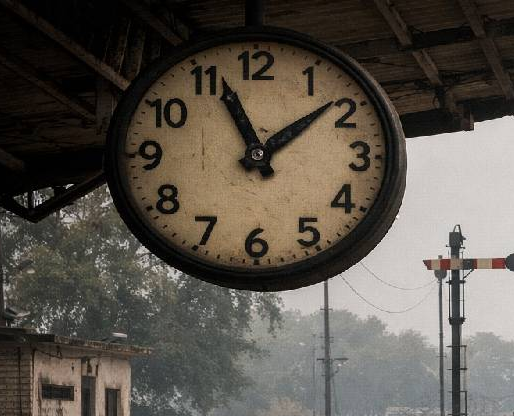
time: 11:08
